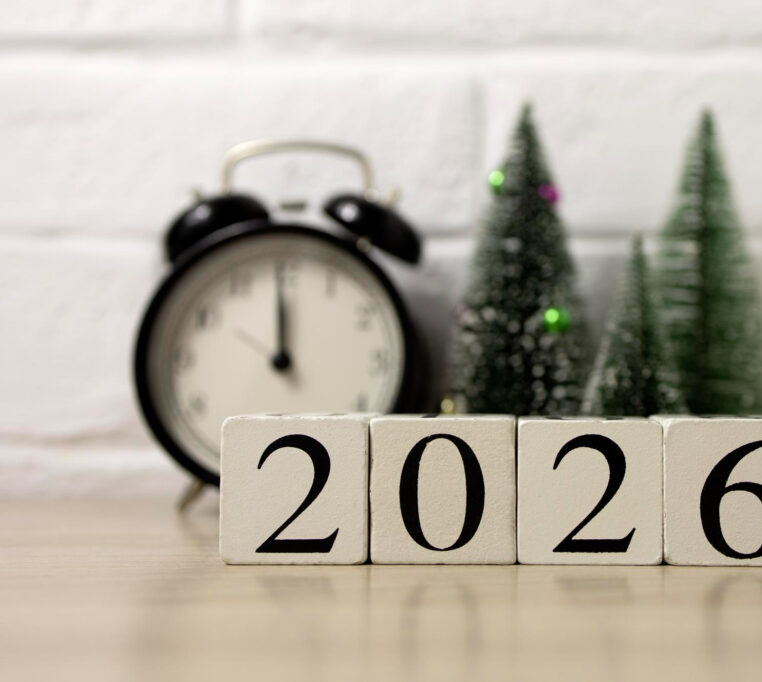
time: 11:59
